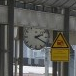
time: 2:20
